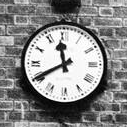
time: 11:40
